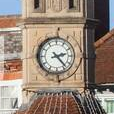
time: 2:23
